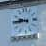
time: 9:45
